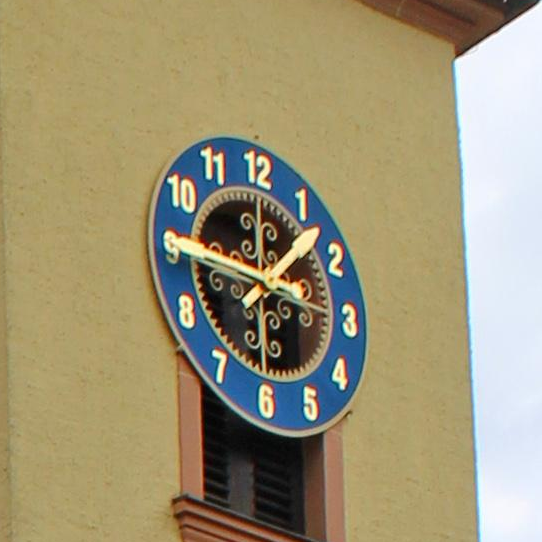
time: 9:07
